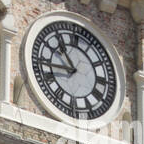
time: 10:43
